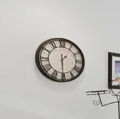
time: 1:30
